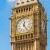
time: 12:24
